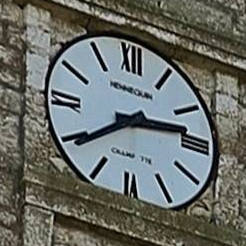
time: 2:38
